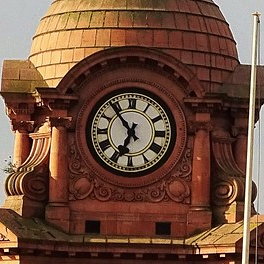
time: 6:53
